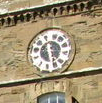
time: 5:26
